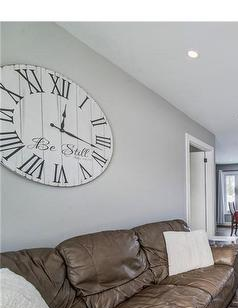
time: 12:17
